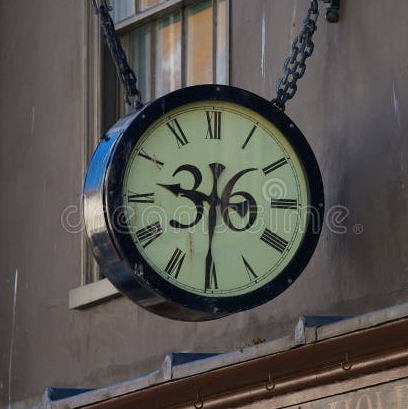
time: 9:30
